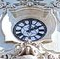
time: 2:00
